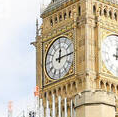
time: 12:14
